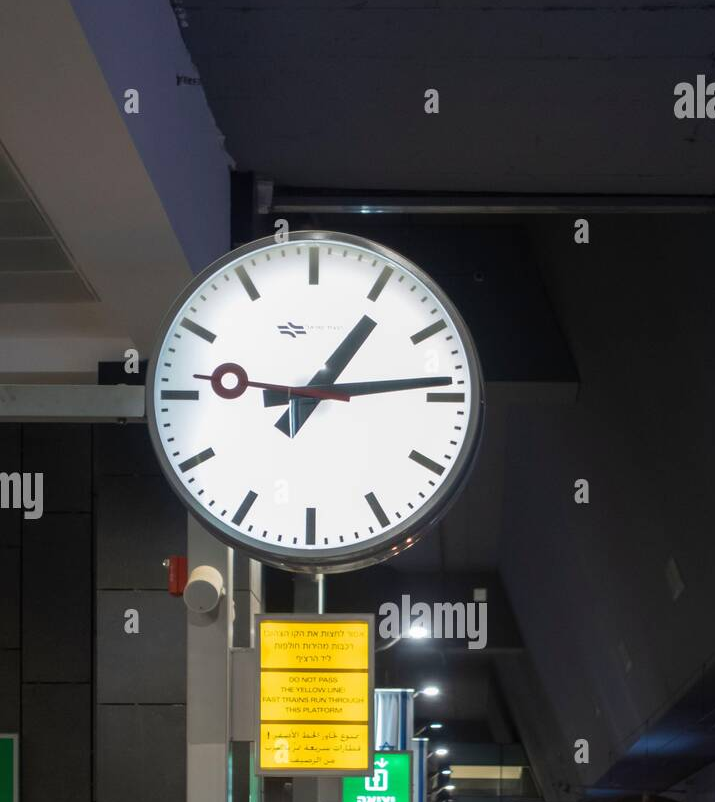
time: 1:13
